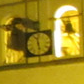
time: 11:28
